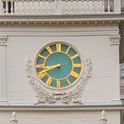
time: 8:40
